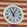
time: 11:04
